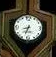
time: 8:33
